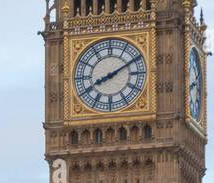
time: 8:10
